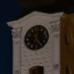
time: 12:24
